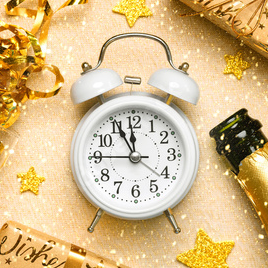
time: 11:55
